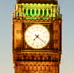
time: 7:21
